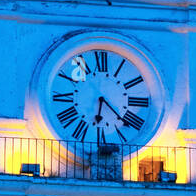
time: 6:21
